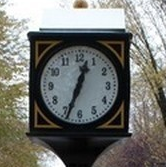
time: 12:33
